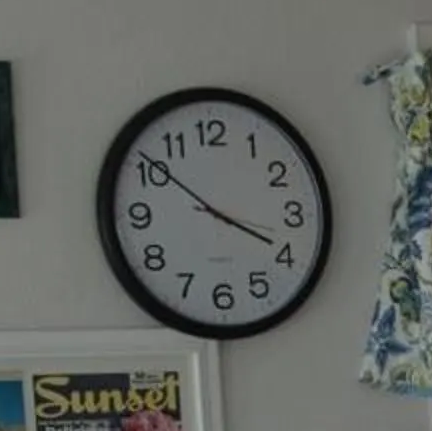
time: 3:51
